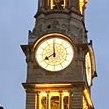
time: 7:59
